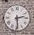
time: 2:29
